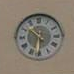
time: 10:31
